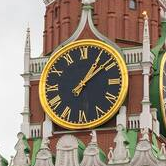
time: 1:08
